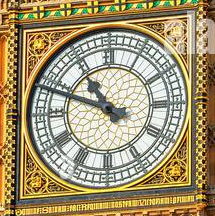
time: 10:48
